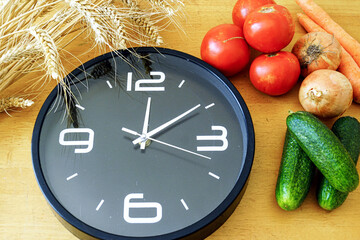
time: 12:09
